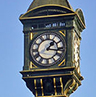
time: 1:16
